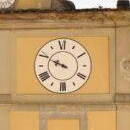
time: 9:49
